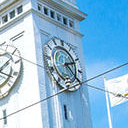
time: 2:23
